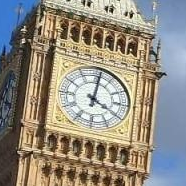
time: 4:01
